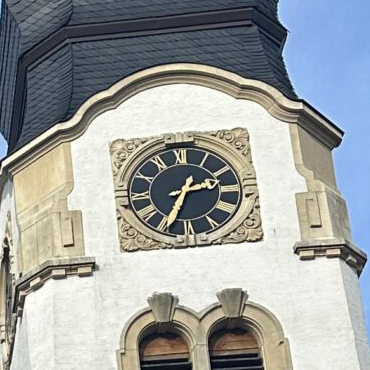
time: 2:34
